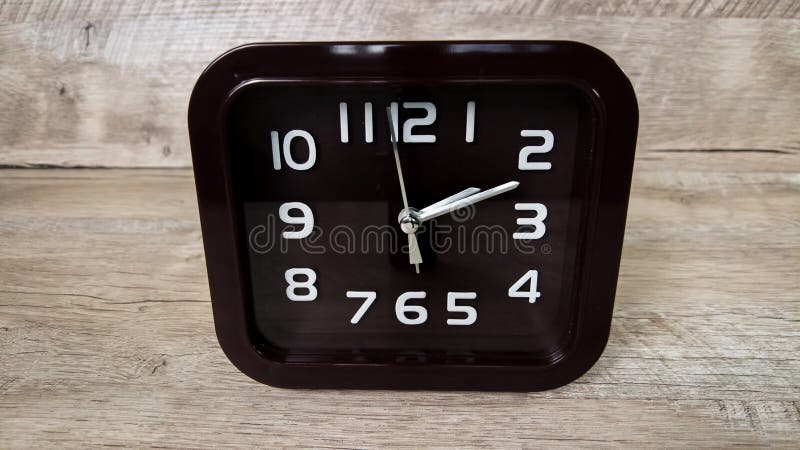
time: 2:11
